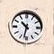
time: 10:32
